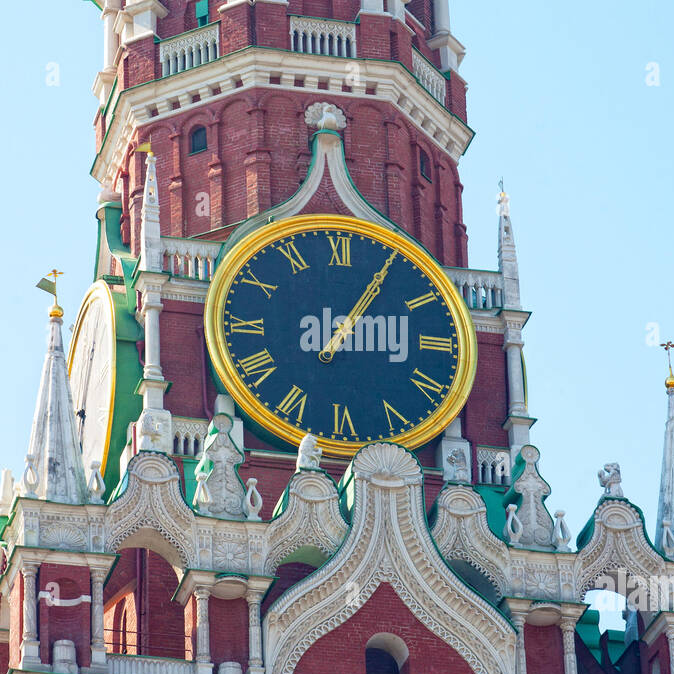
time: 1:05
